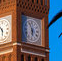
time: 5:54
